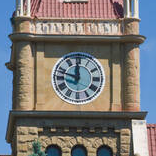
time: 11:47
